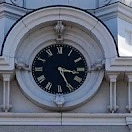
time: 3:25
